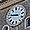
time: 9:47
